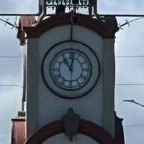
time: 11:02
